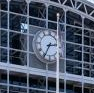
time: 2:35
